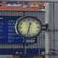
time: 12:32
